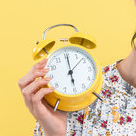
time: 6:00
